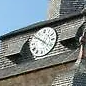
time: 10:21
